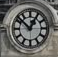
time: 12:52
